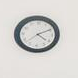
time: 4:10
